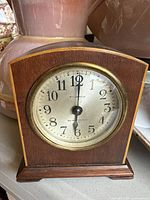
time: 6:00
